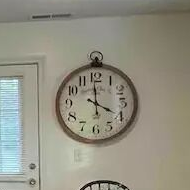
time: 3:59
